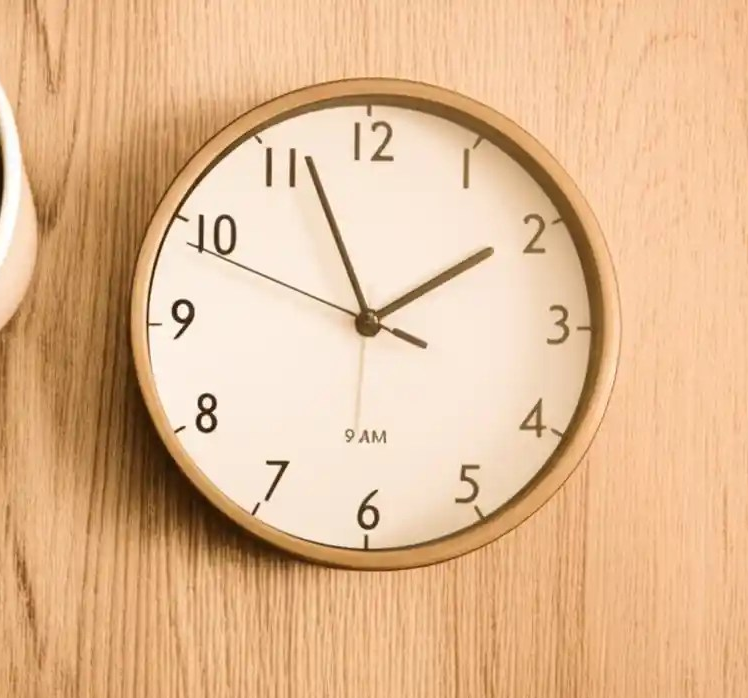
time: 1:56
